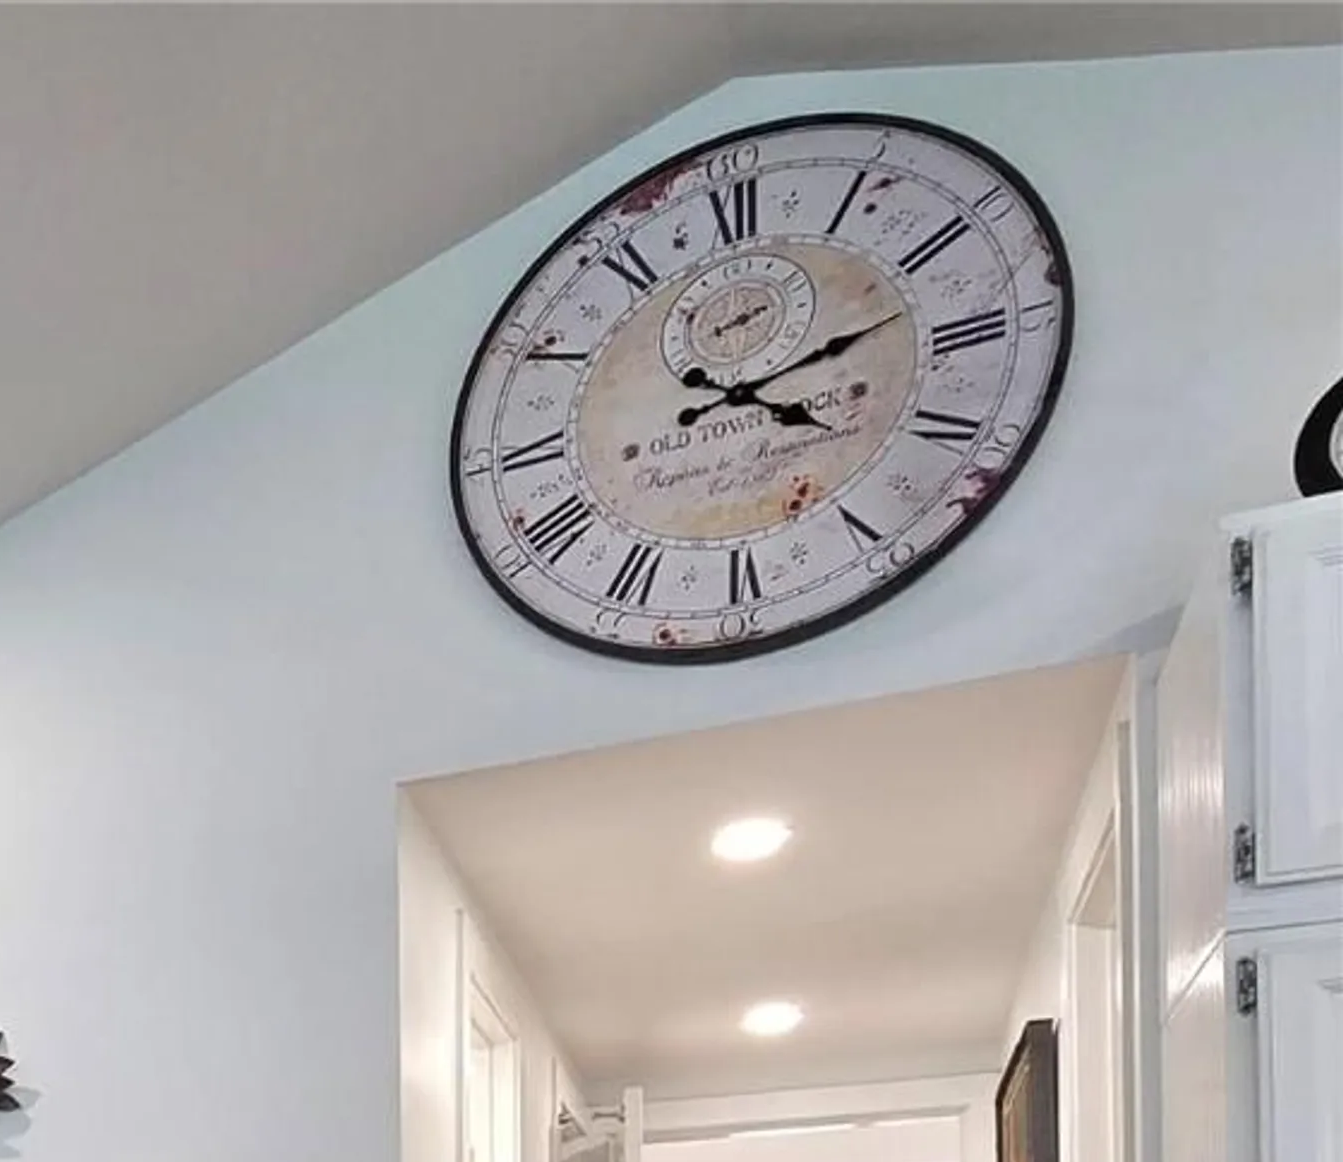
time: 4:12
